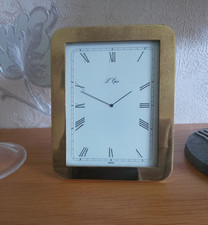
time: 1:48
